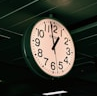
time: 12:58
